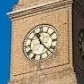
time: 11:22
